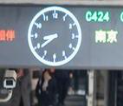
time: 8:38
